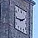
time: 2:46
